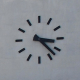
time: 3:22
